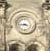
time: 3:43
